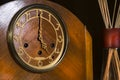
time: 5:00
